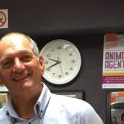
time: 9:41
